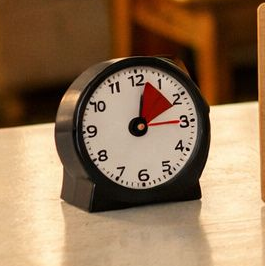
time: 2:02
